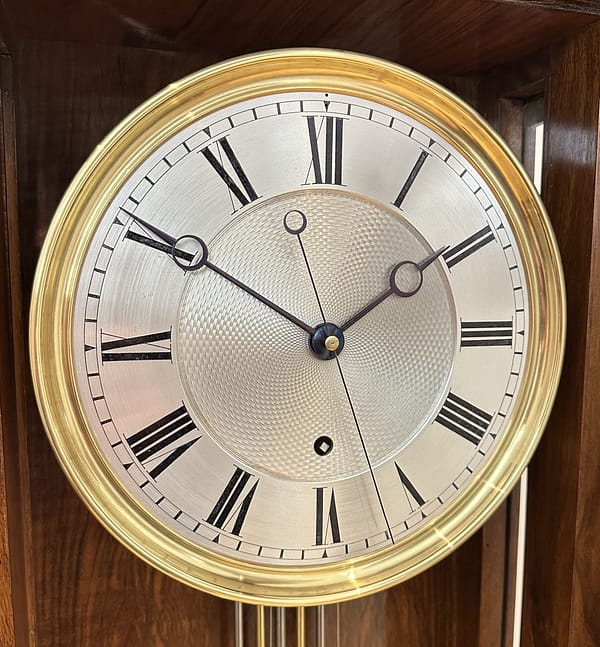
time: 1:50
